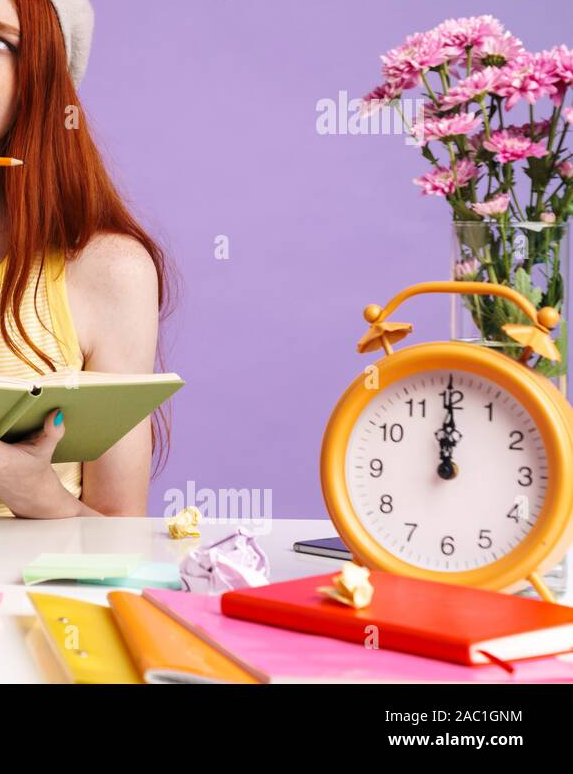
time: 12:00
